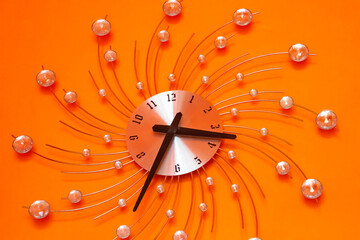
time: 3:34
